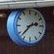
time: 2:37
